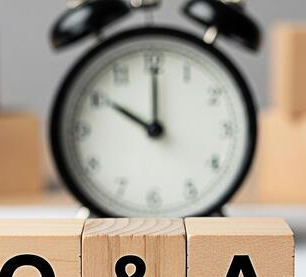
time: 10:00
